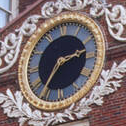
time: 2:36
